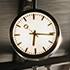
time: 6:15
